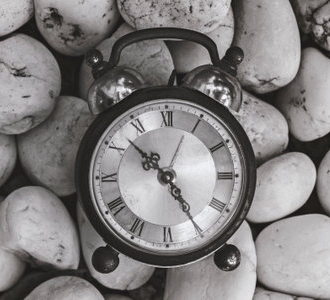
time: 10:24
